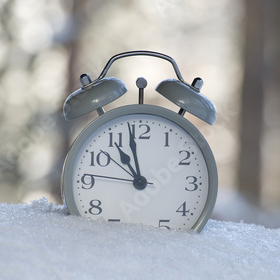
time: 10:58
